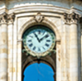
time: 11:08
